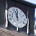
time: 11:56
